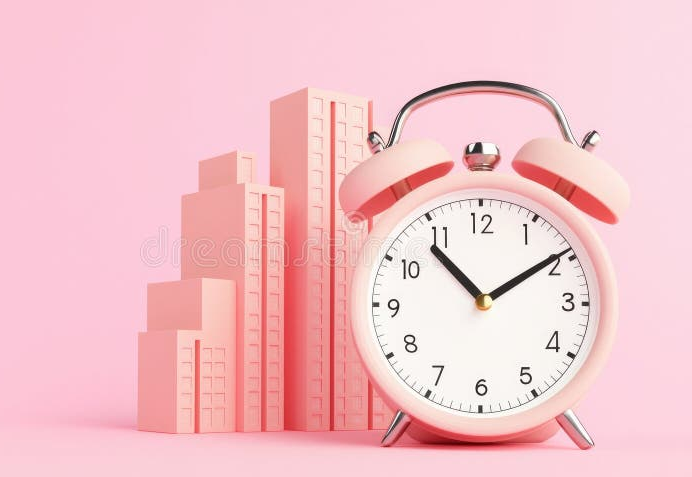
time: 1:53
